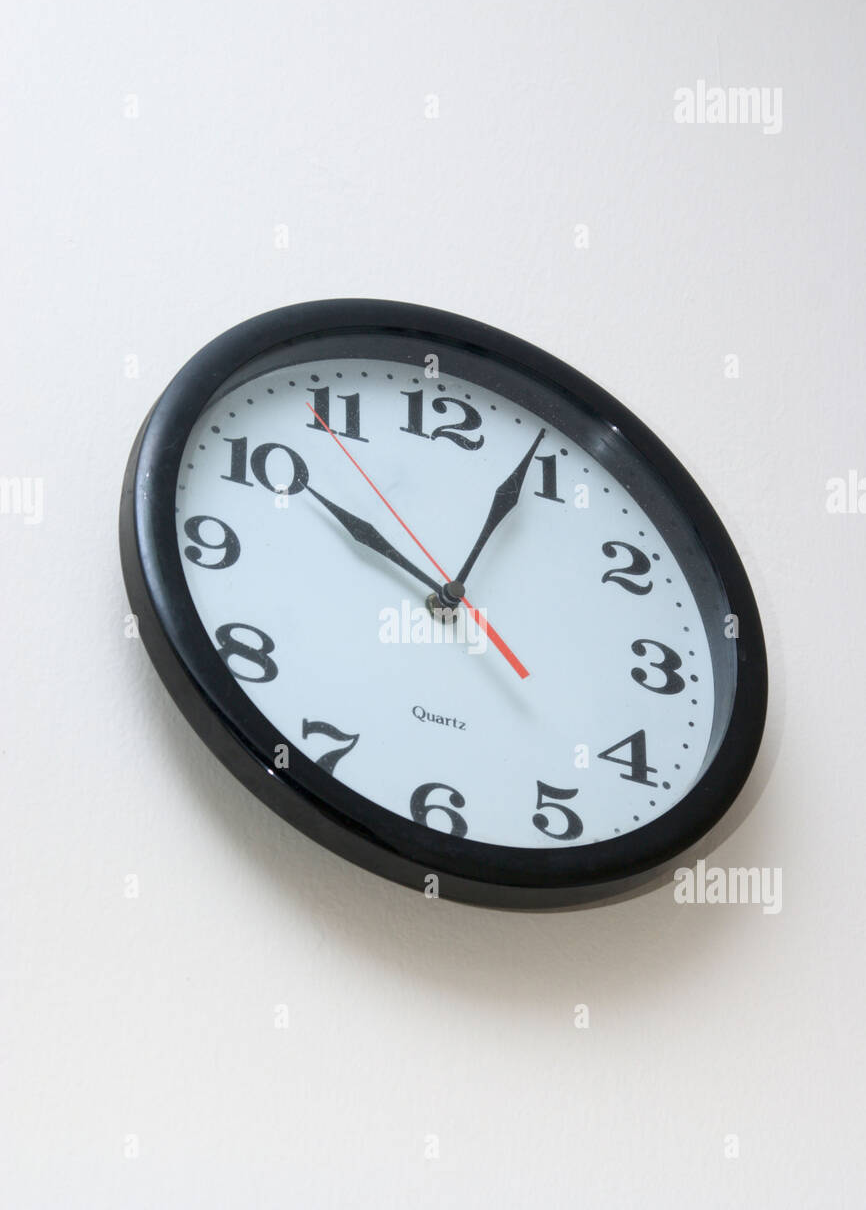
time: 10:04
